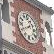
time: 1:40
